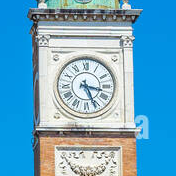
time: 3:26
